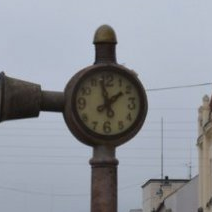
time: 1:57
